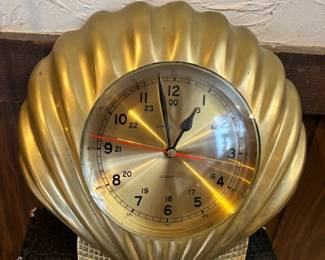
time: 12:57
